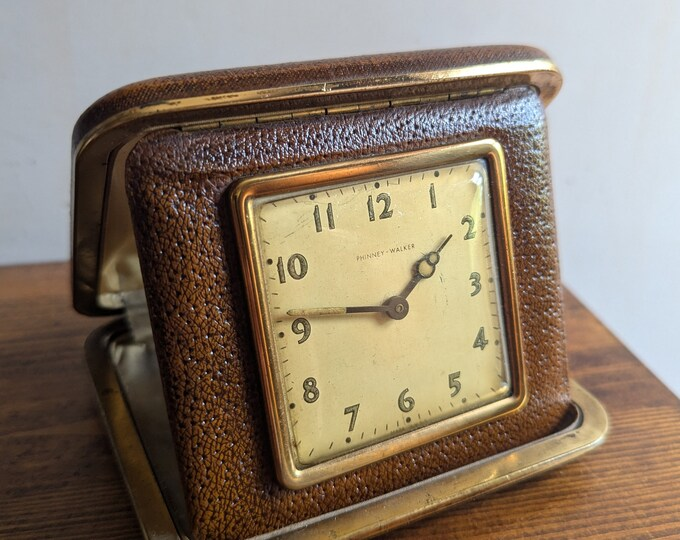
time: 1:46
